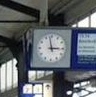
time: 2:58
